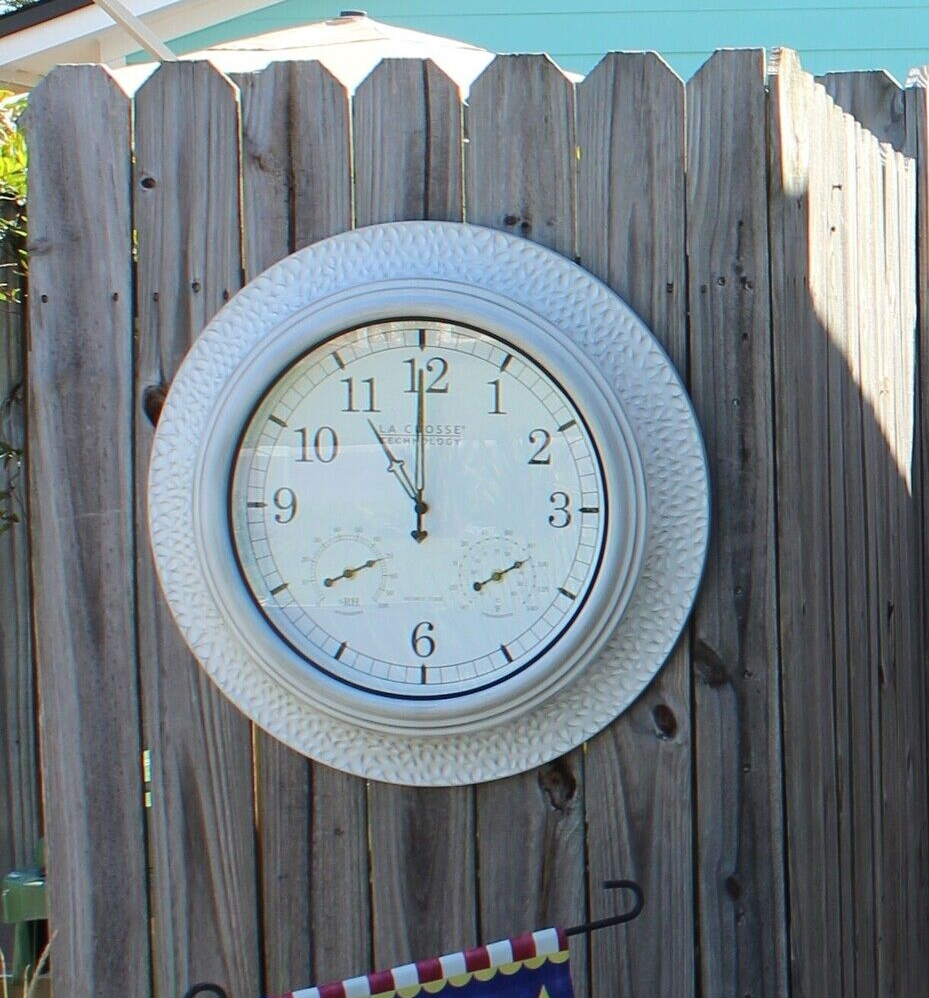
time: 10:59
